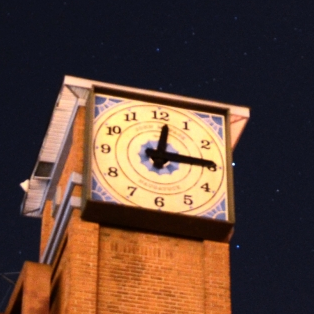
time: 12:14
